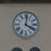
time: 4:01
